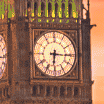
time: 6:15
